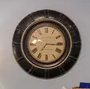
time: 7:15
